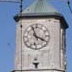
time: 3:56
